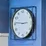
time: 2:46
